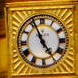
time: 4:56
